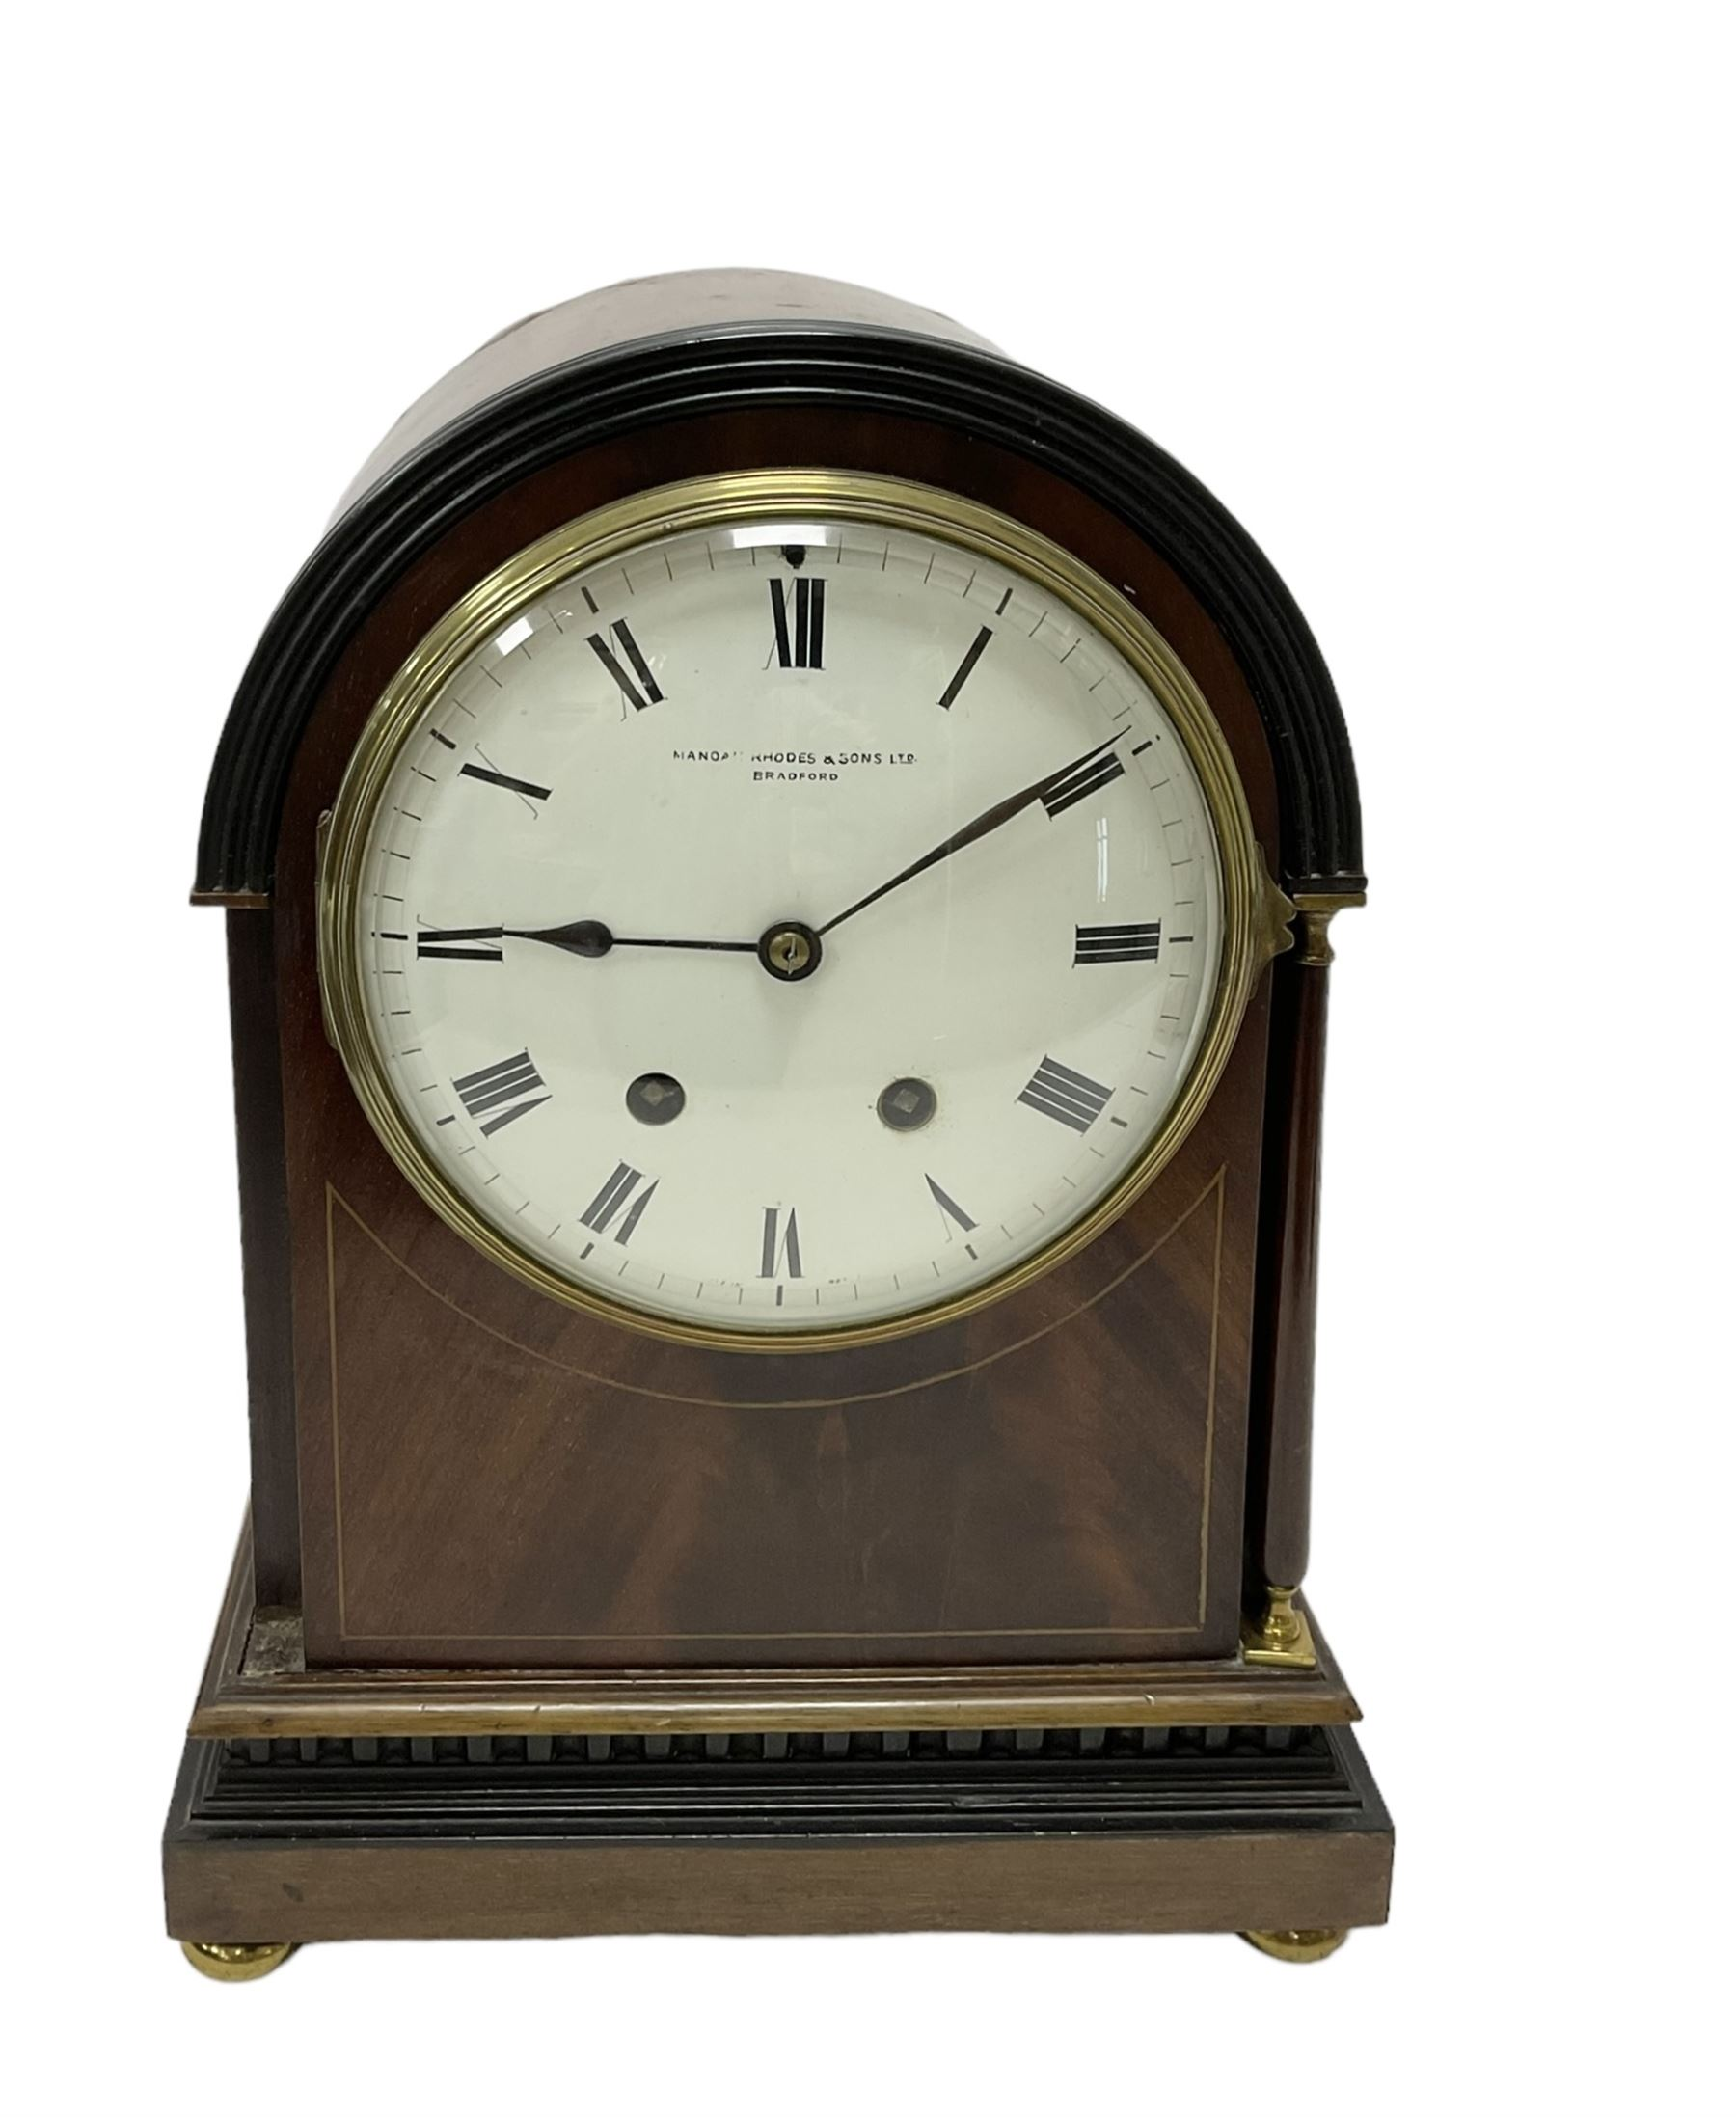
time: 9:09
